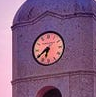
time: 6:39
